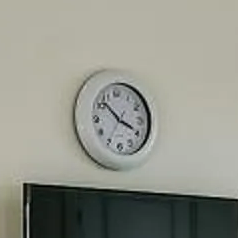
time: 3:52
